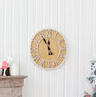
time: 11:55
